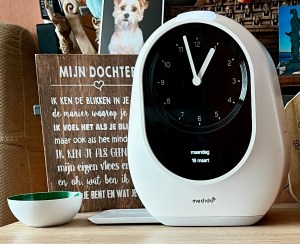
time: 12:57
